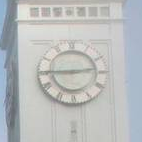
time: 2:45
